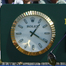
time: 1:20
